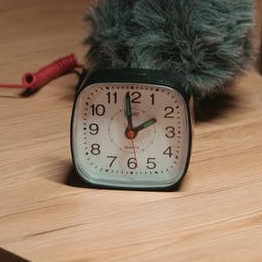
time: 1:59
